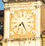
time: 7:25
